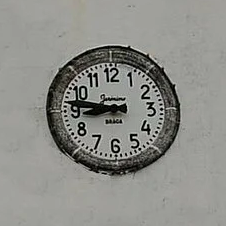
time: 8:46
